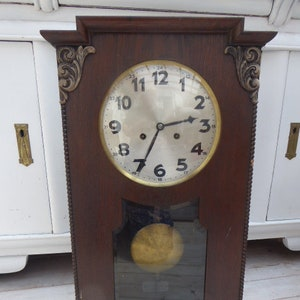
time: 2:34
